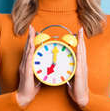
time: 7:00
